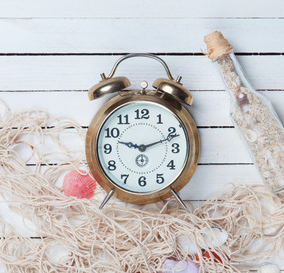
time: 9:11
